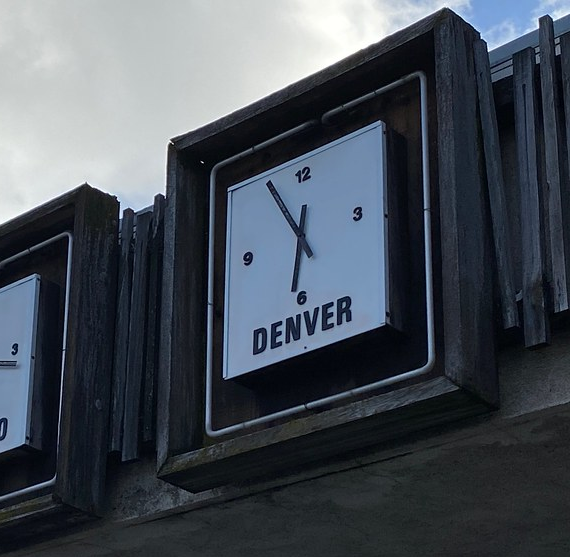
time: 6:54
